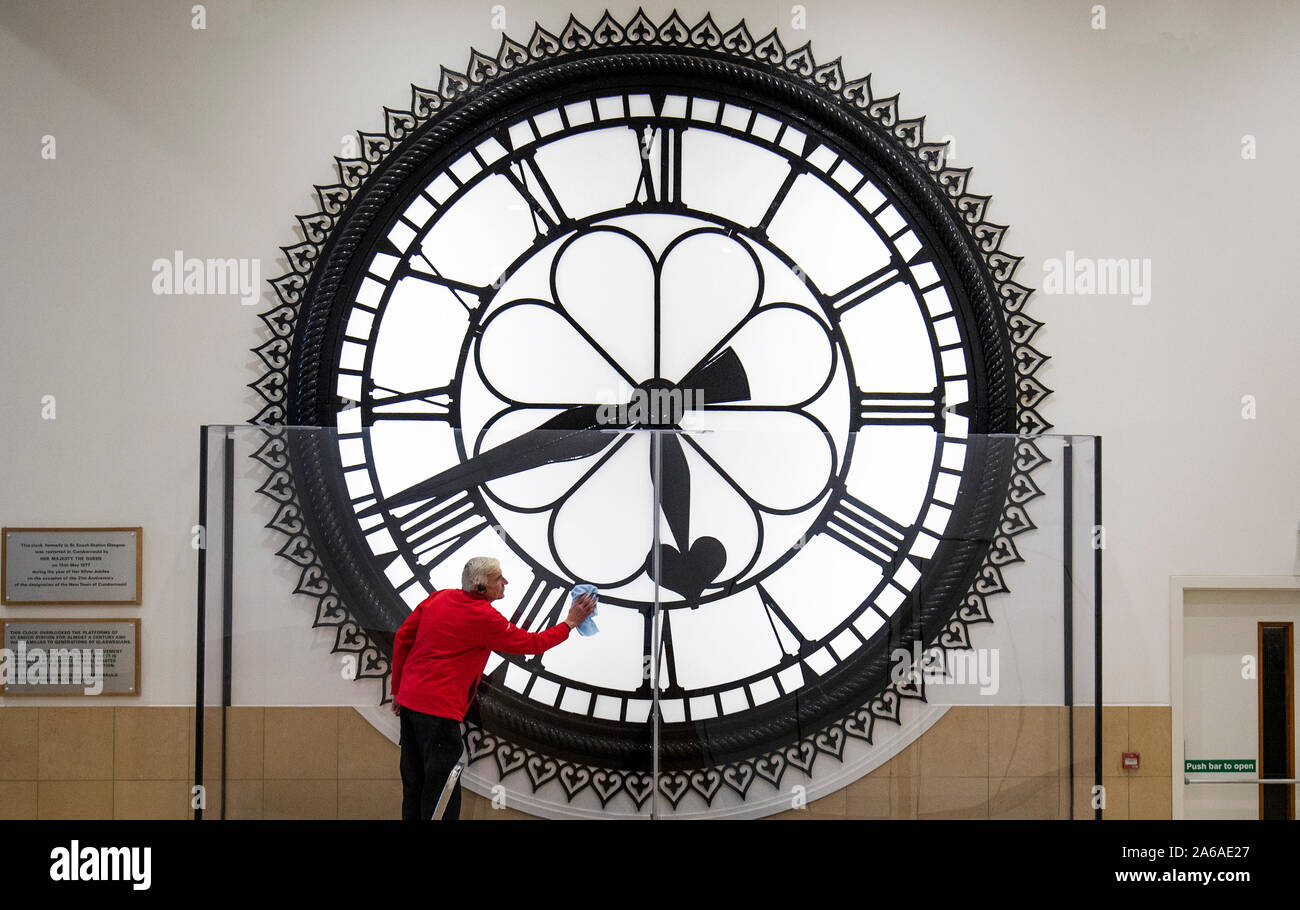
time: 5:42
